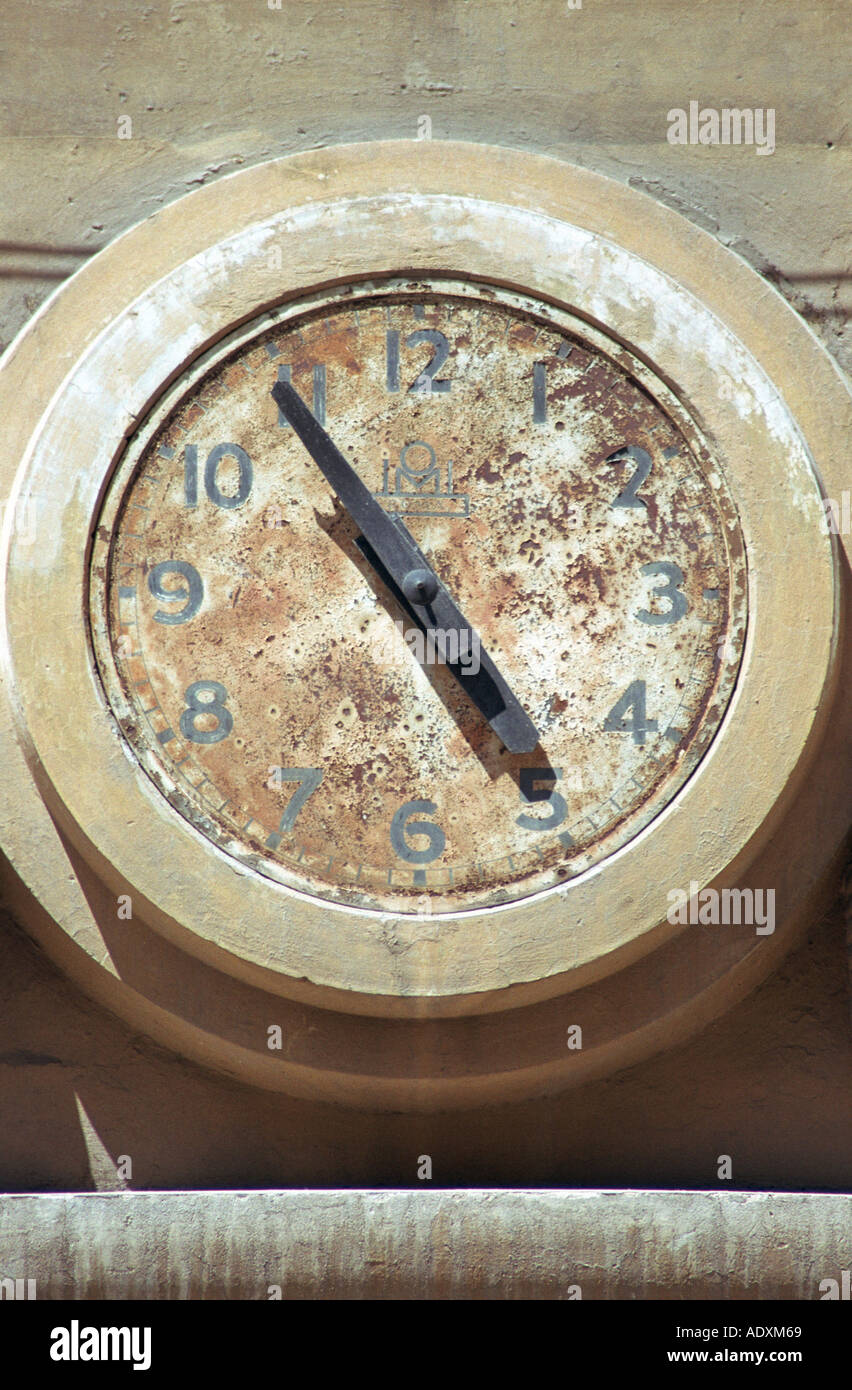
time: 4:54
